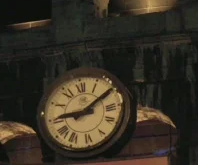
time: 9:09
